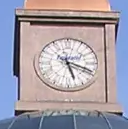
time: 5:18
